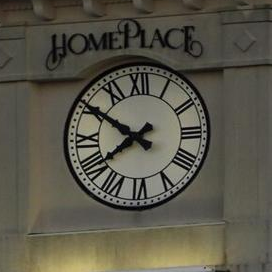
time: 7:50
